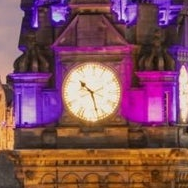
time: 10:27
